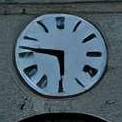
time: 5:46
